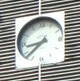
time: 8:38
